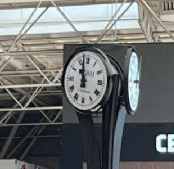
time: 10:57
